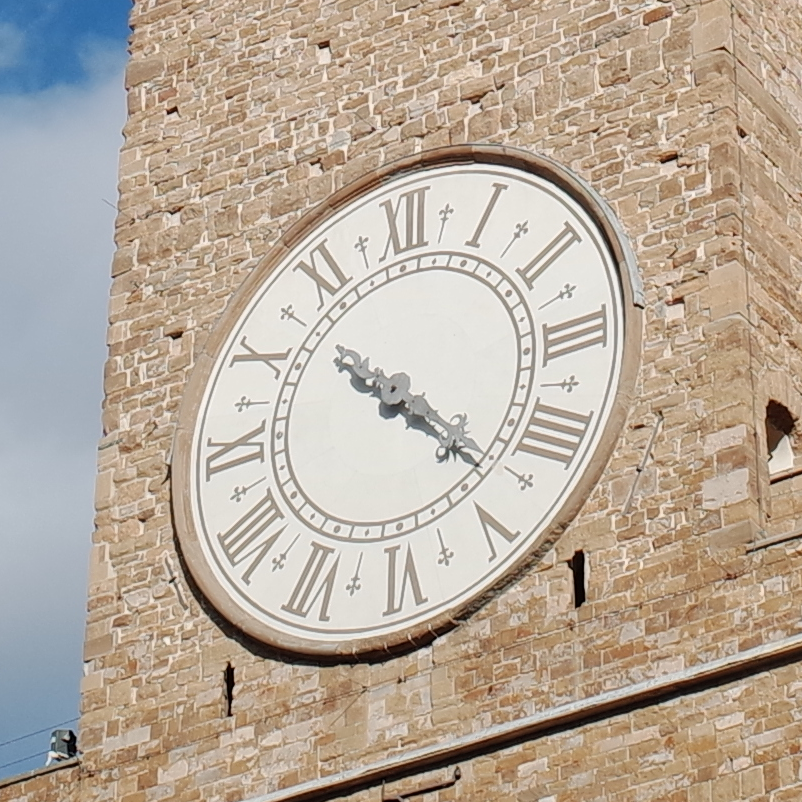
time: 10:22
